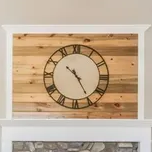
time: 10:24
